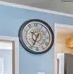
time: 10:34
